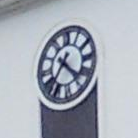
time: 4:35
